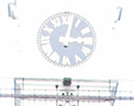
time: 3:02
